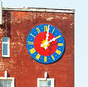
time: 2:01
